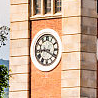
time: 9:20
